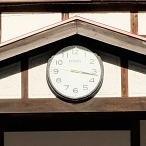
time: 3:16
